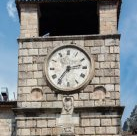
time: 2:35
